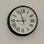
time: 8:57
